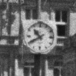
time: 10:40
